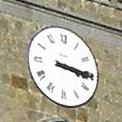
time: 3:15
